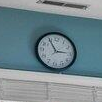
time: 2:55
